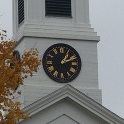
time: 1:10
